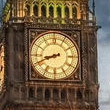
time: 8:41
